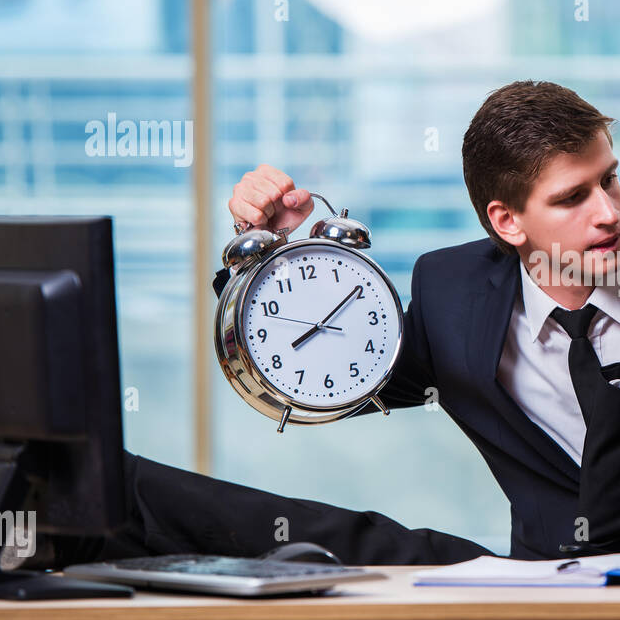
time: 8:09
